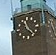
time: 11:22
